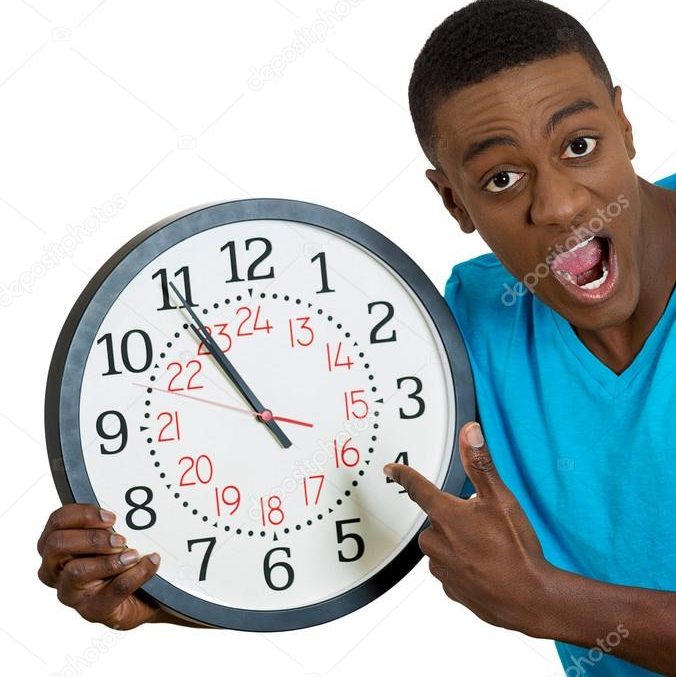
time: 10:54
